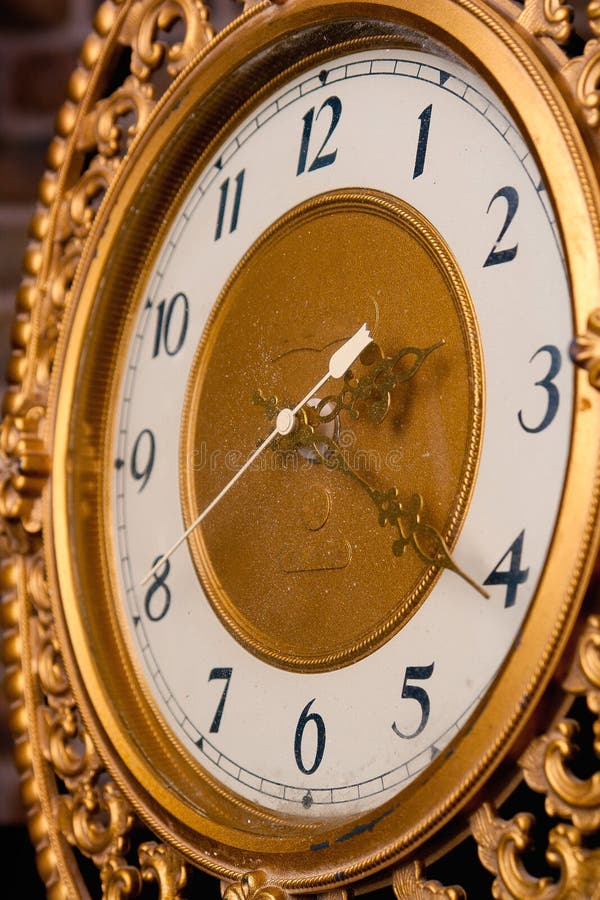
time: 1:40
